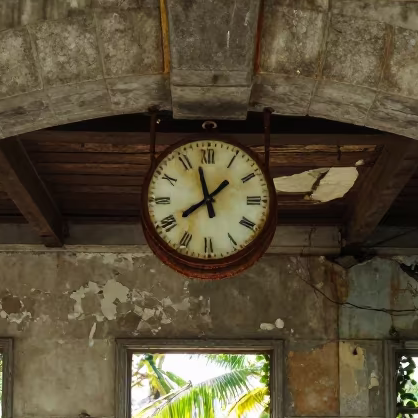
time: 7:57
